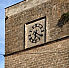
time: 6:20
